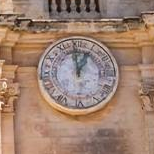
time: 12:59
